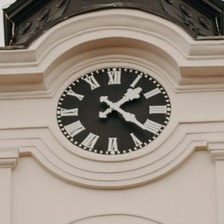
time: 1:21
